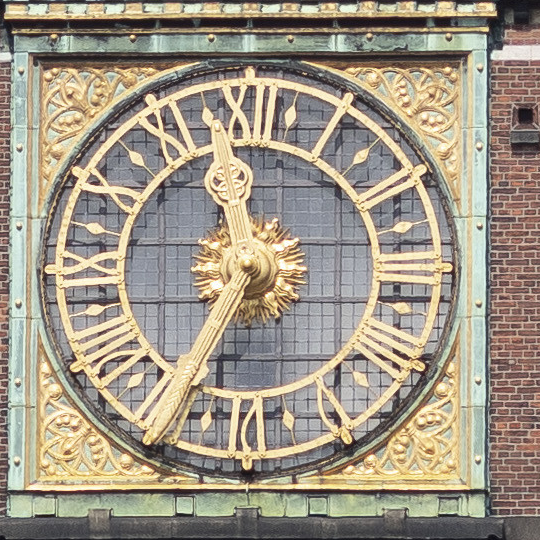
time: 11:35
